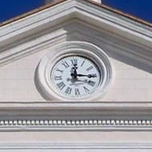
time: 12:15
